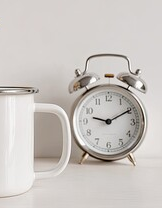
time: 9:10
